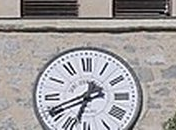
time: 6:40
